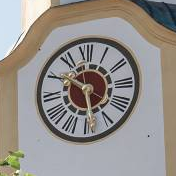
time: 5:51
